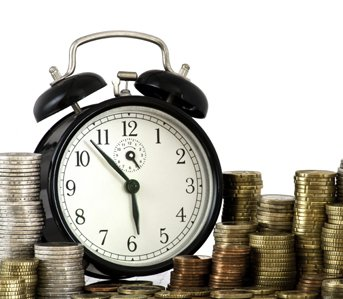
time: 5:53
